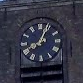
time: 8:04
